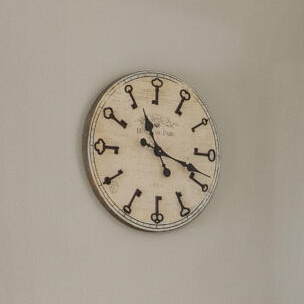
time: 11:18
